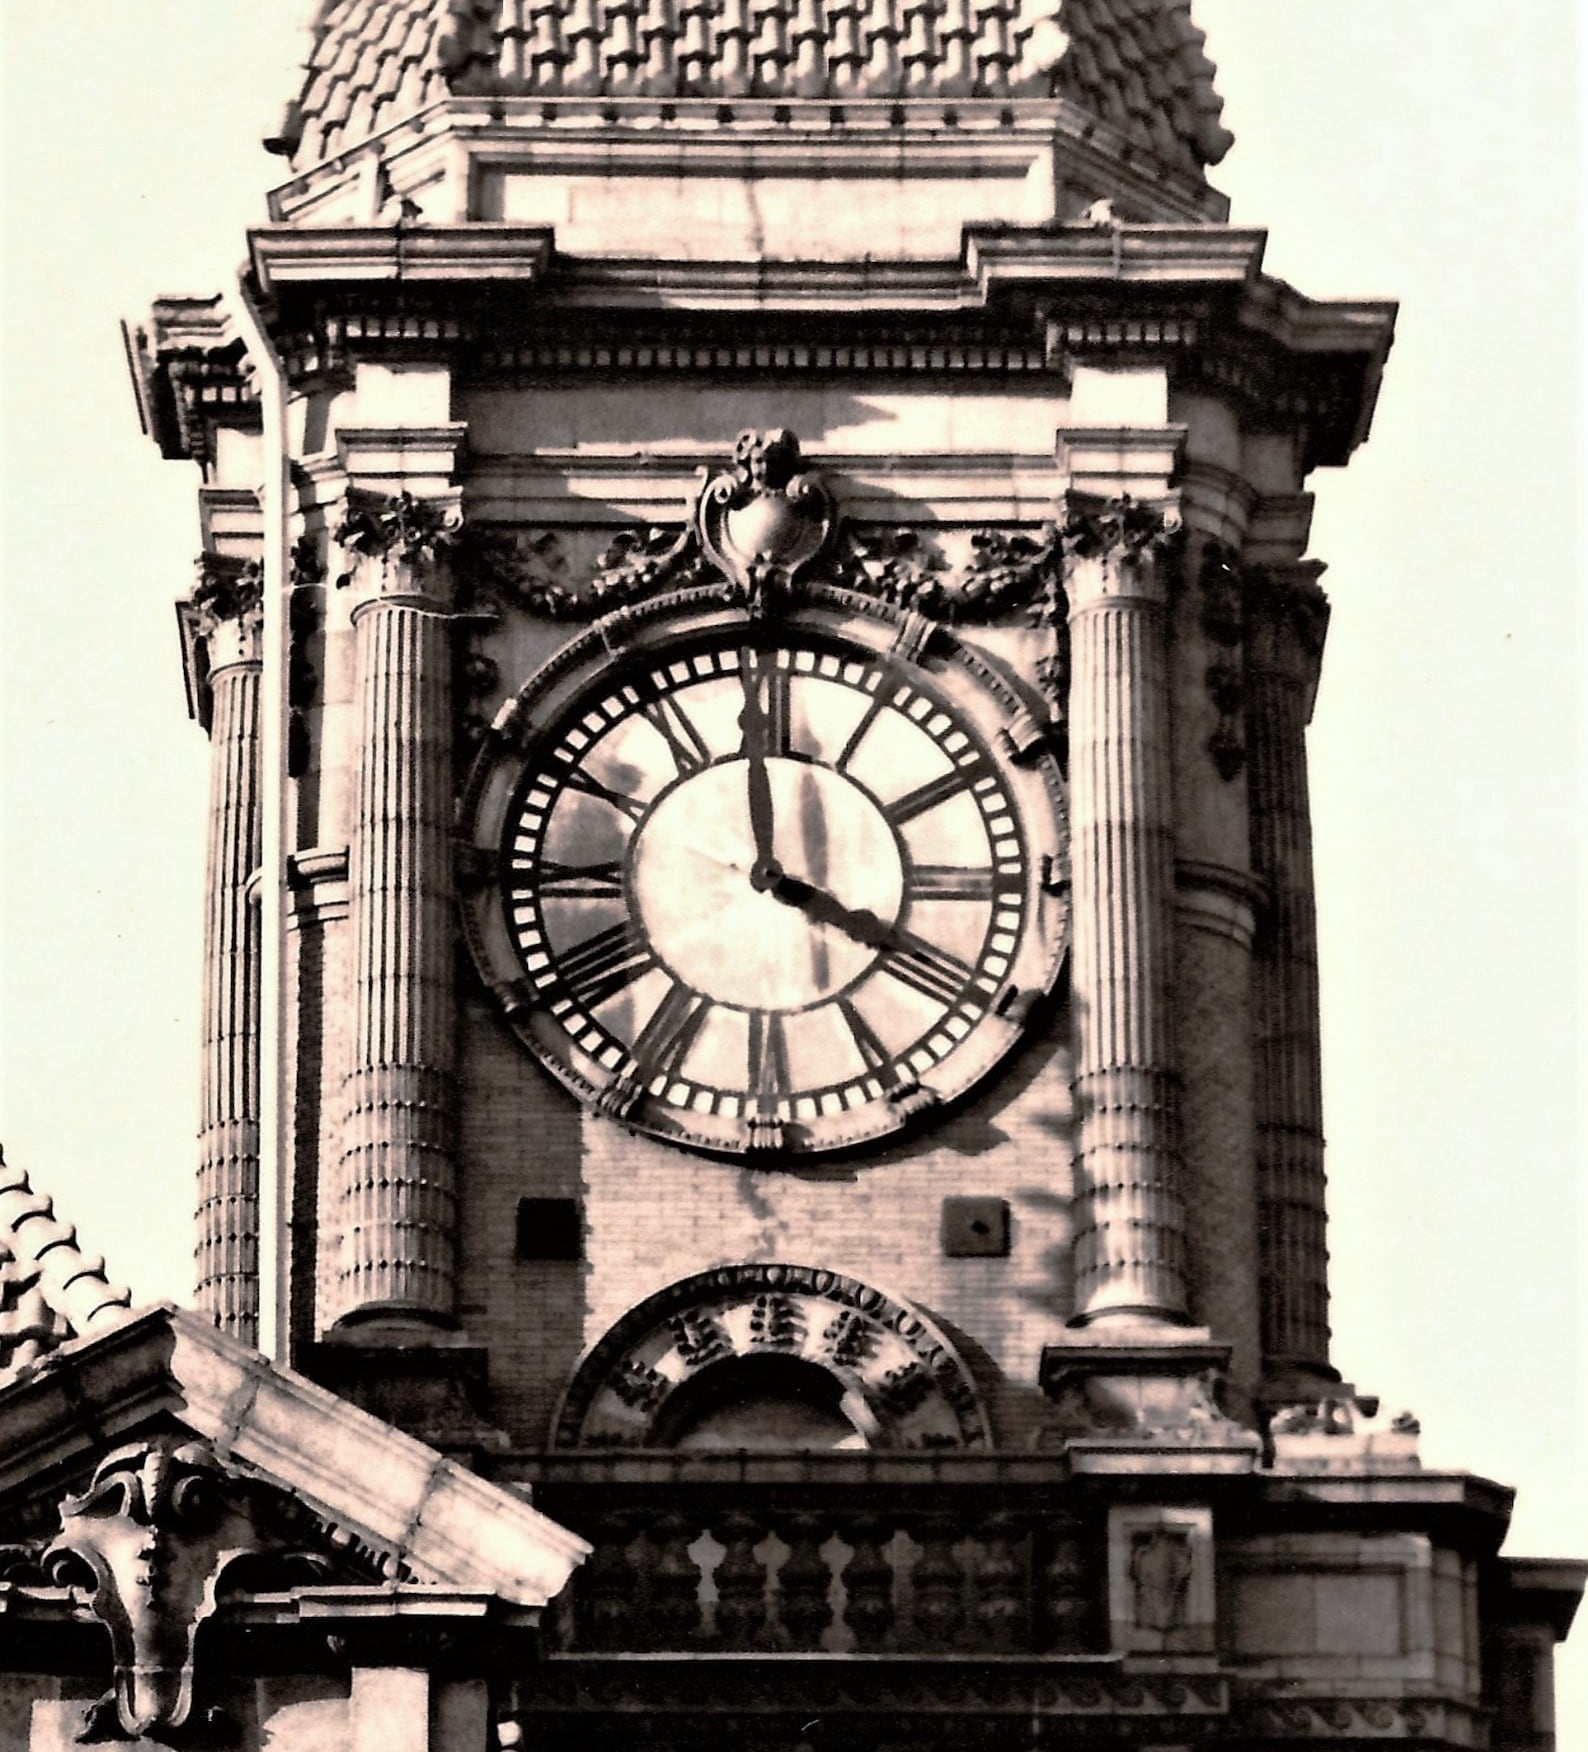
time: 3:58
